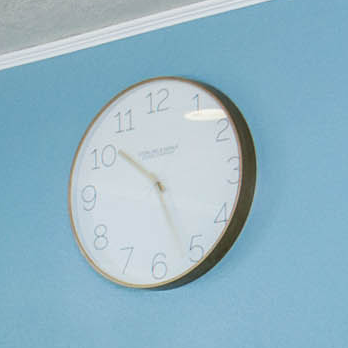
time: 10:26
